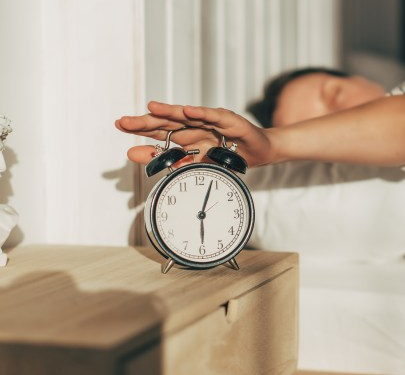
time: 6:03
